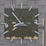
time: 7:53
